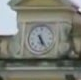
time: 5:24
